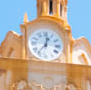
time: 12:36
